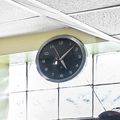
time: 5:07
